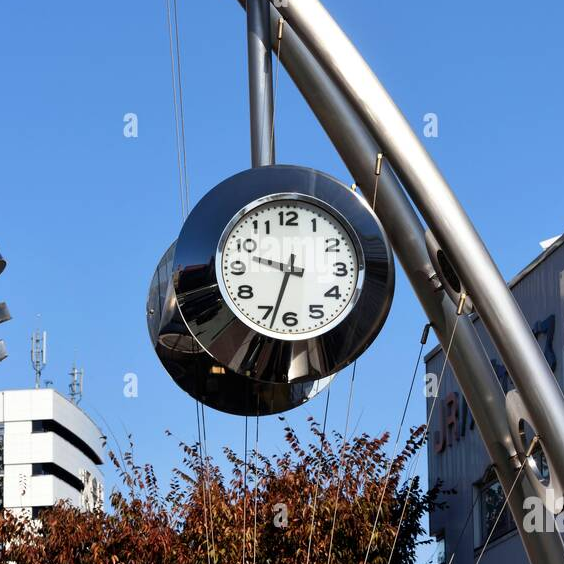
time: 9:33
